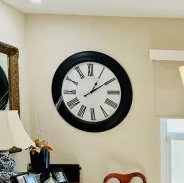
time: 1:09
